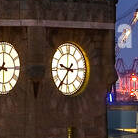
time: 9:36
